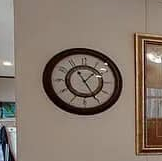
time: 1:25
